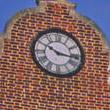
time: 10:16
